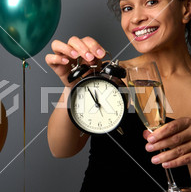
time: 11:55
